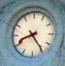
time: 8:24
